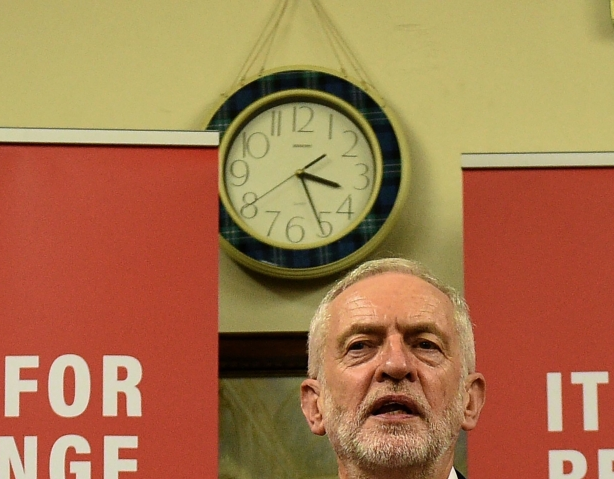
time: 3:25
